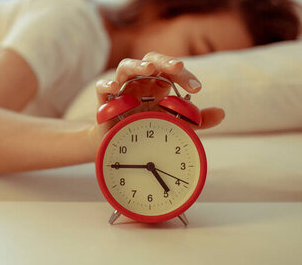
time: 4:45
